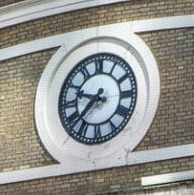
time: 9:37
